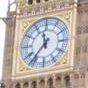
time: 11:36
